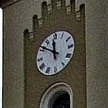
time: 11:51
